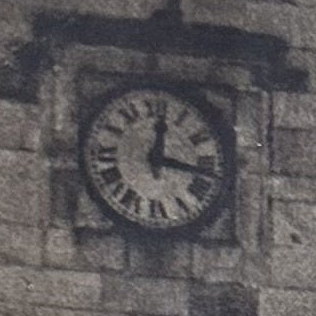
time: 12:16
